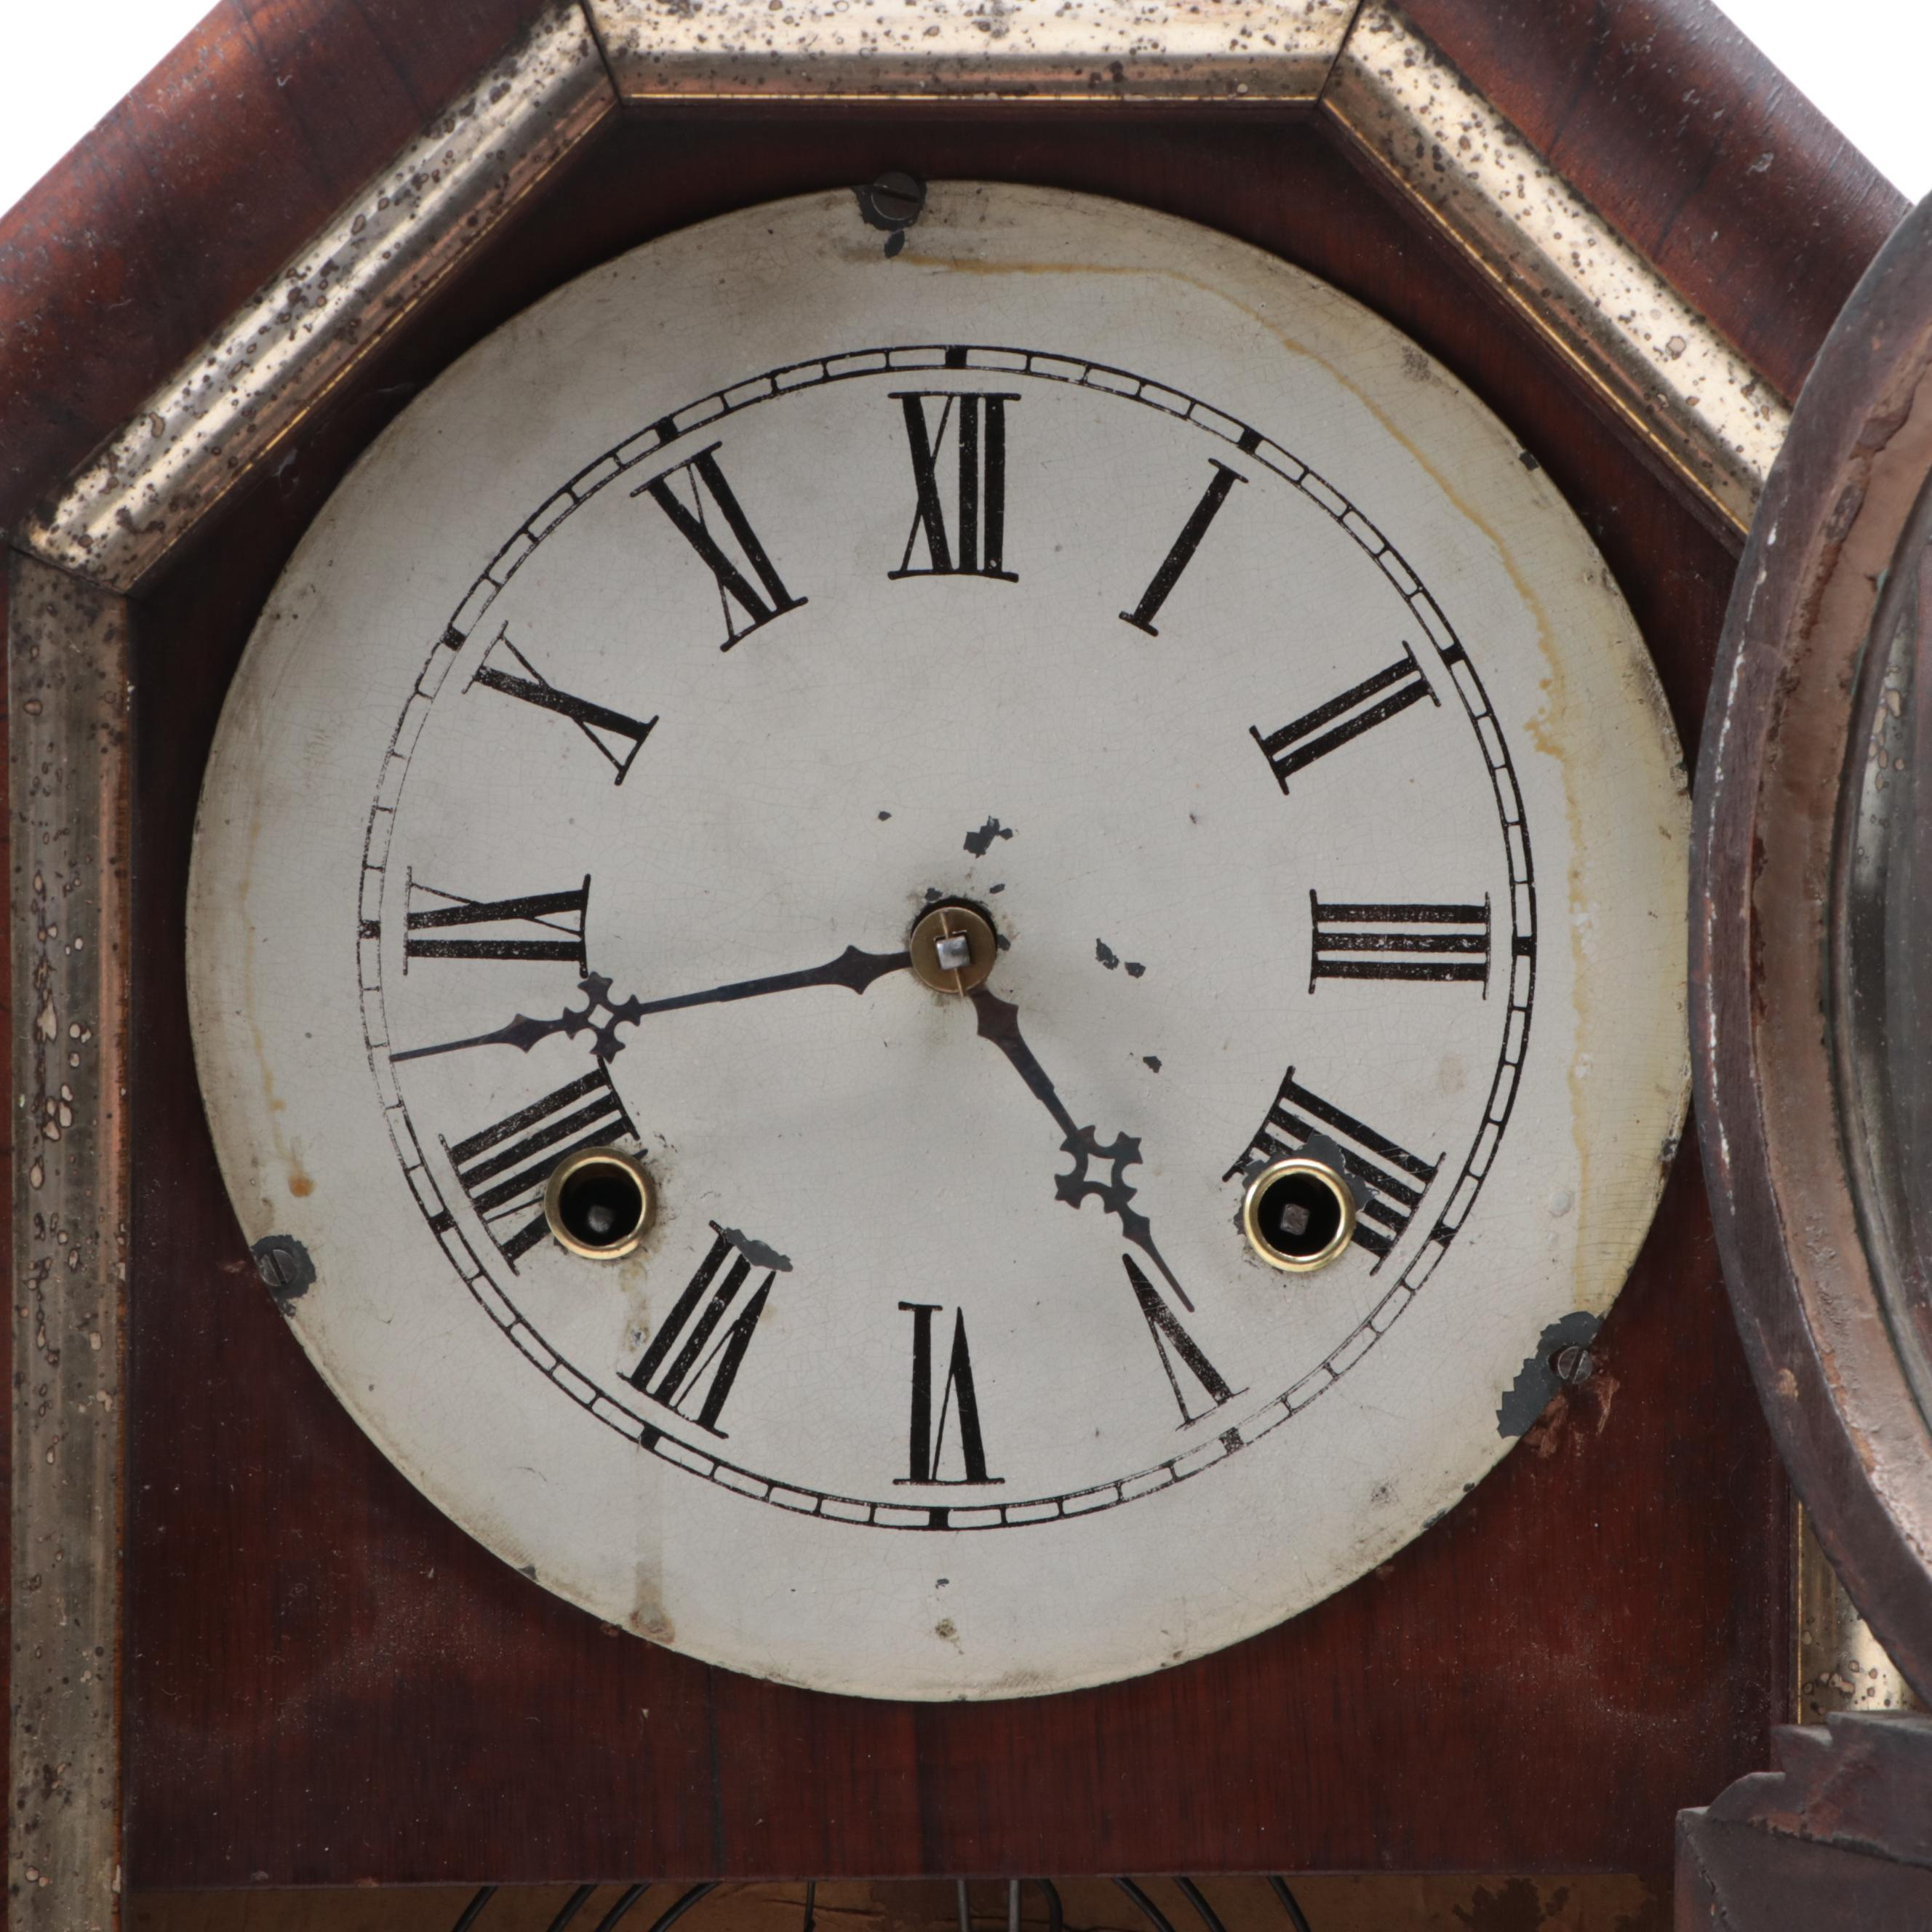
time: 4:42
